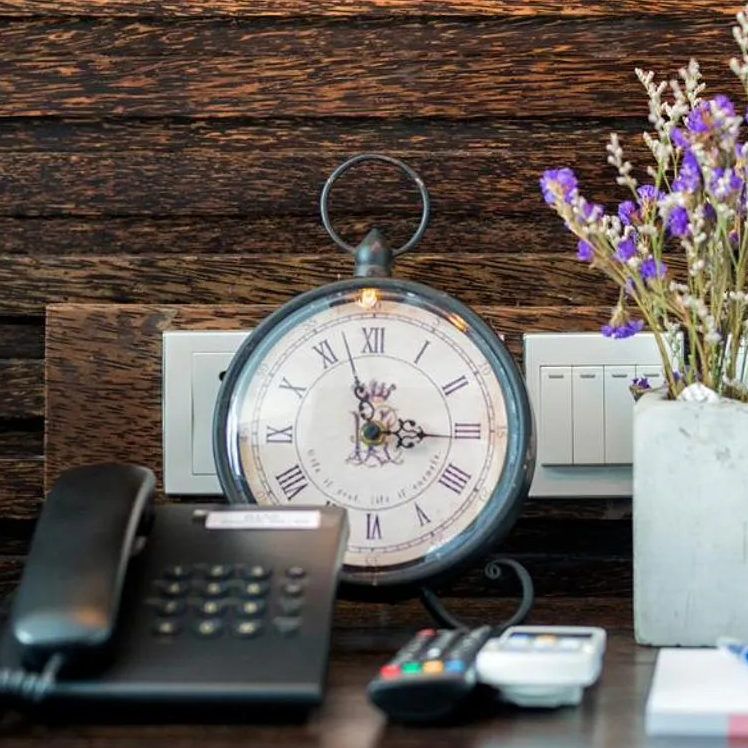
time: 2:57
